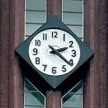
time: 2:21
